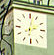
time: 2:02
